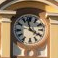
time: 3:58
